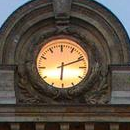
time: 6:11
